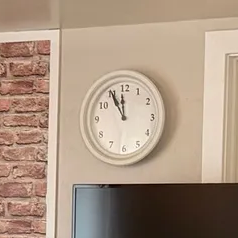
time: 11:55
